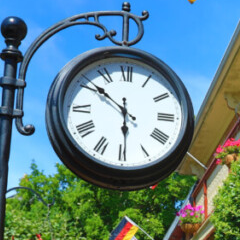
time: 5:51
